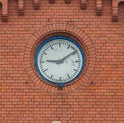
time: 9:09
